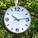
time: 10:13
